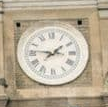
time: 1:46
